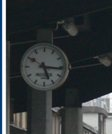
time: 5:15
